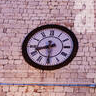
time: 8:30
